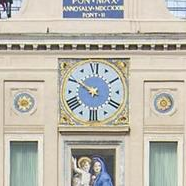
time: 9:50
